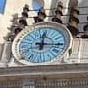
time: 12:16
